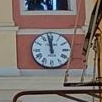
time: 11:58
